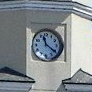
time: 11:21
